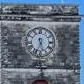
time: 5:33
